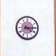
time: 4:14
